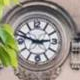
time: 2:48
